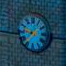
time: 9:38
